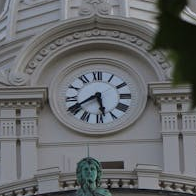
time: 5:40
